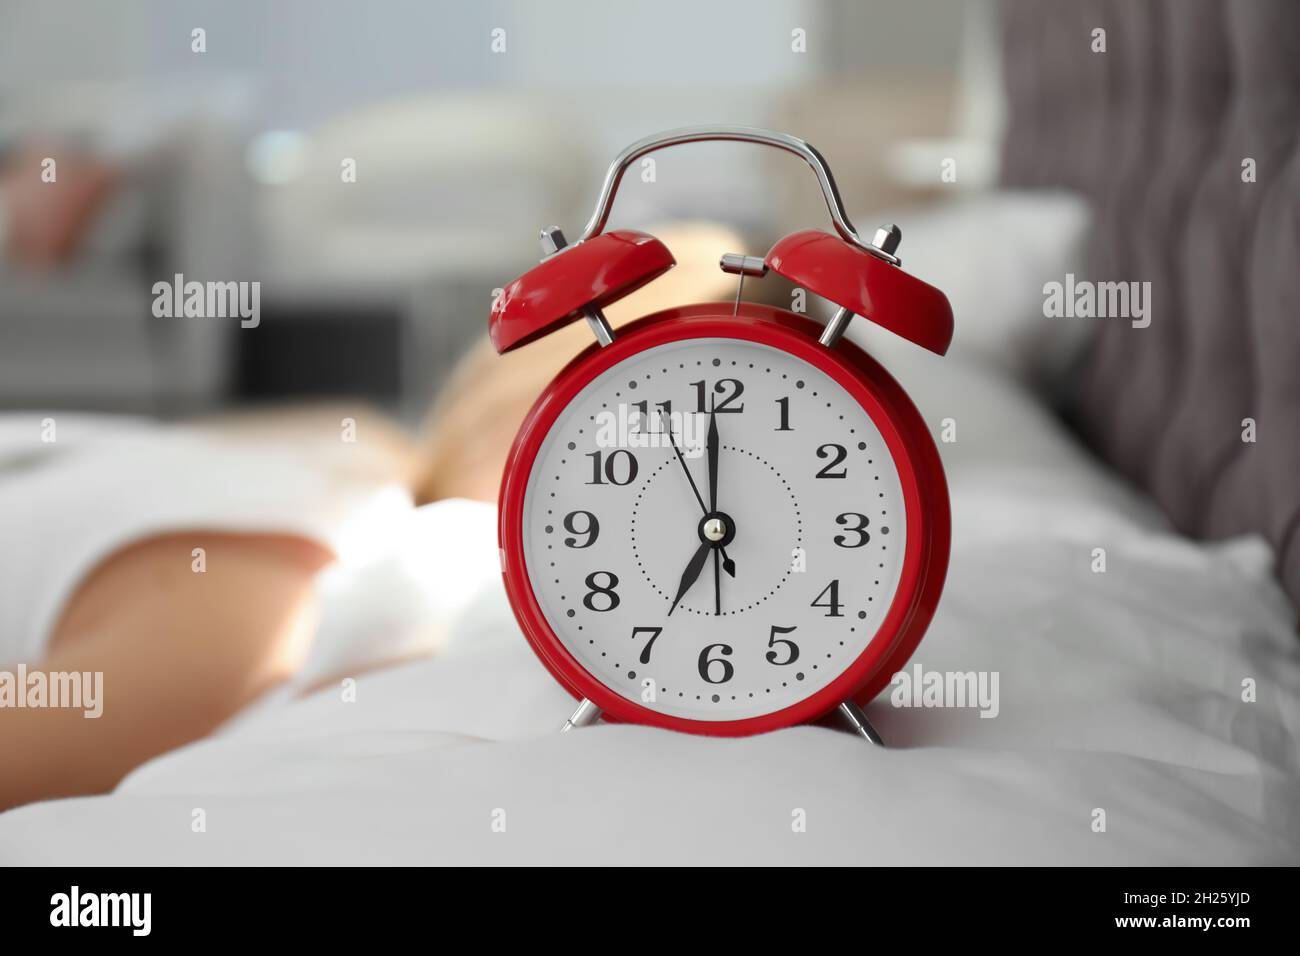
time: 7:00
